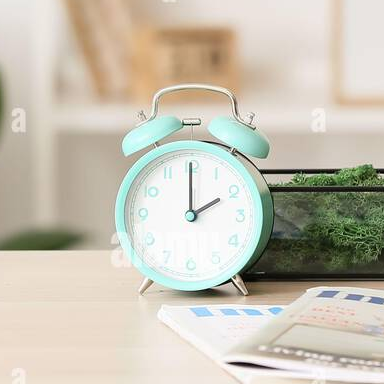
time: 1:59
